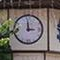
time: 2:58
